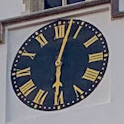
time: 6:02
